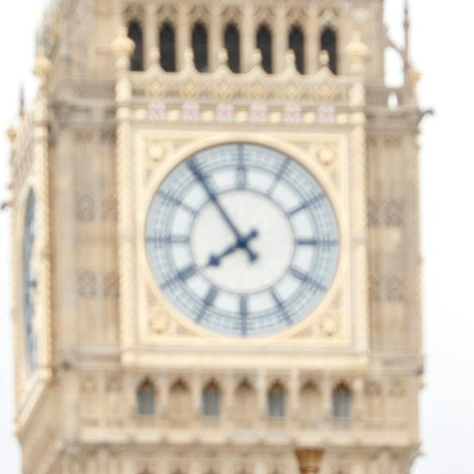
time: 7:53
